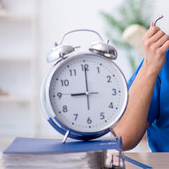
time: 9:00
